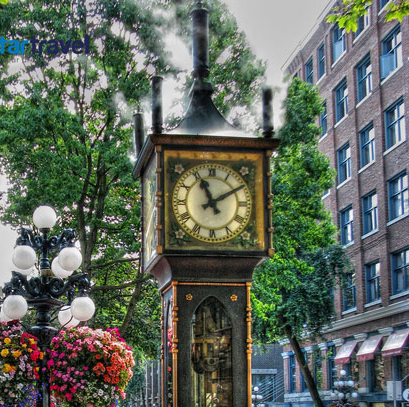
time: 11:09
